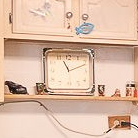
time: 11:10
